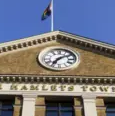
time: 7:09
